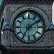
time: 7:08
